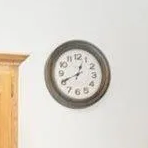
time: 12:40
